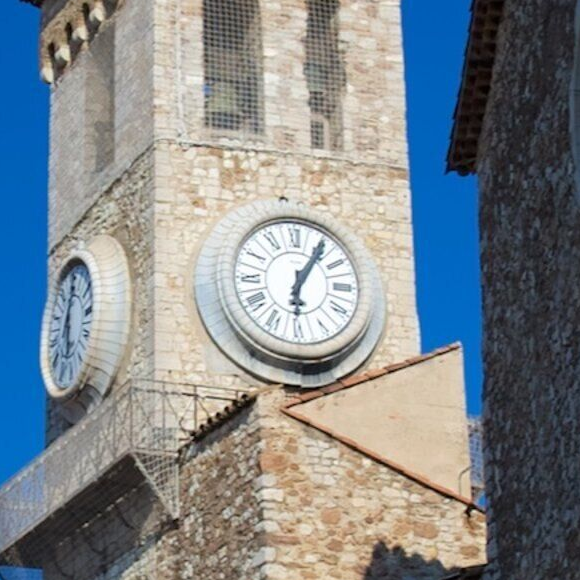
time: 6:05
